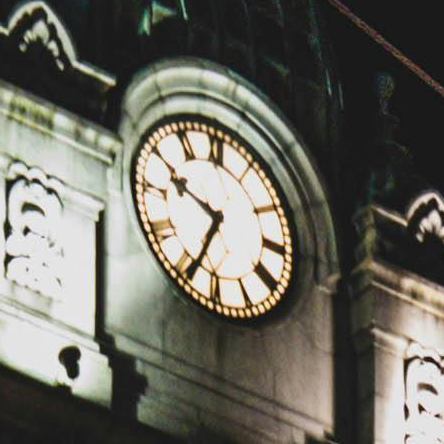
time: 9:34
